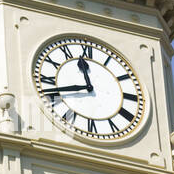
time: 11:41
